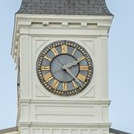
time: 2:22
